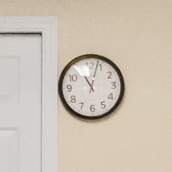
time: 11:03
